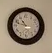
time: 10:47
